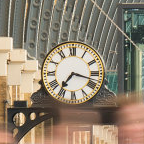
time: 7:17
